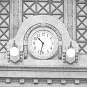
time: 10:32
